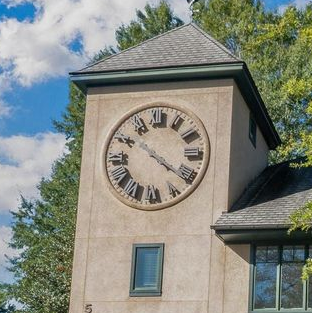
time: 4:21
